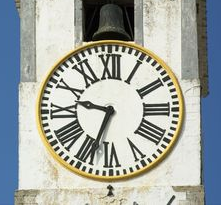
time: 9:33
